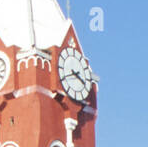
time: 3:40
